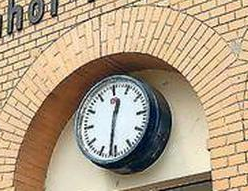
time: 12:31
